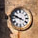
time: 9:48
